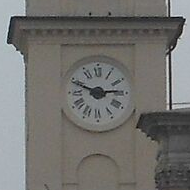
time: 2:48
